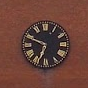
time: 6:48
